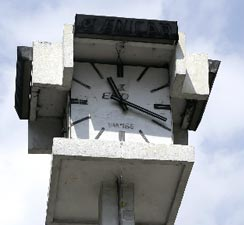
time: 11:18
